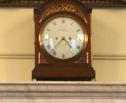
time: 4:37
